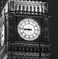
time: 8:46
